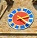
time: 2:21
